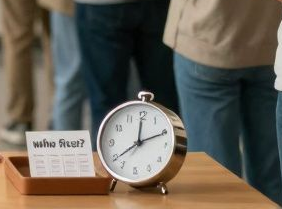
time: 12:10
